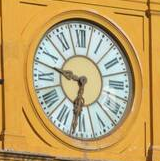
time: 9:32
